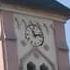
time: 11:12
